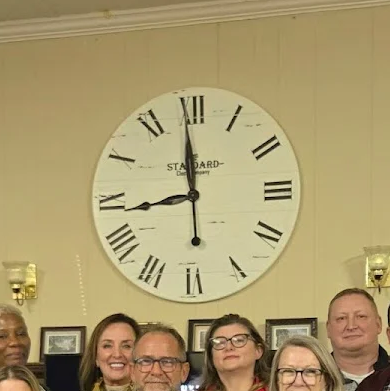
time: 11:43
